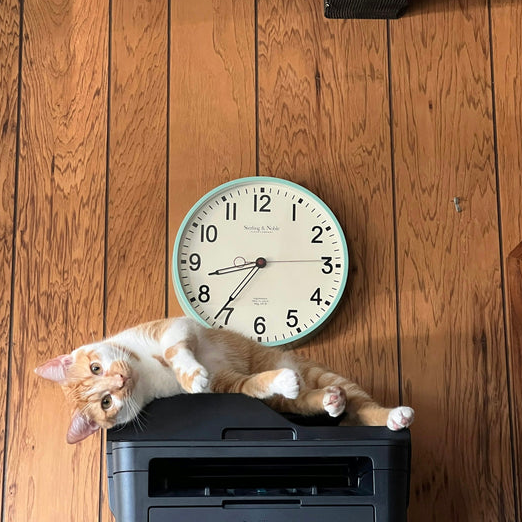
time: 8:36
